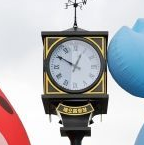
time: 12:50
